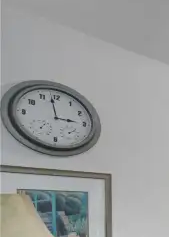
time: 2:58
